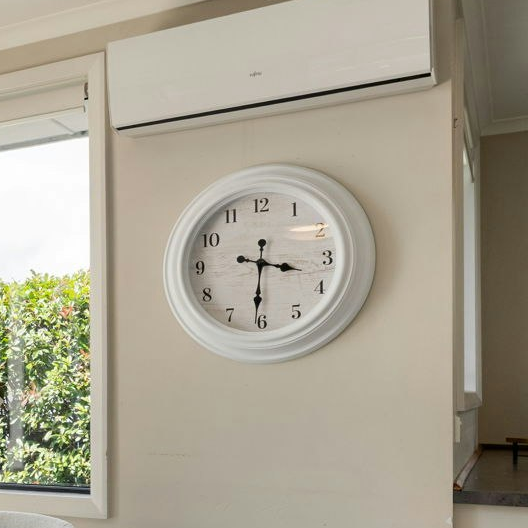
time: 3:30
